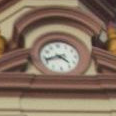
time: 4:42
